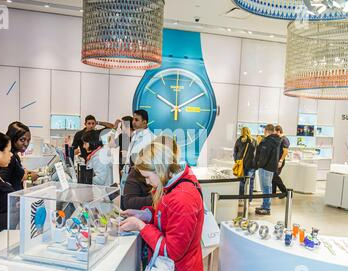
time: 10:00
